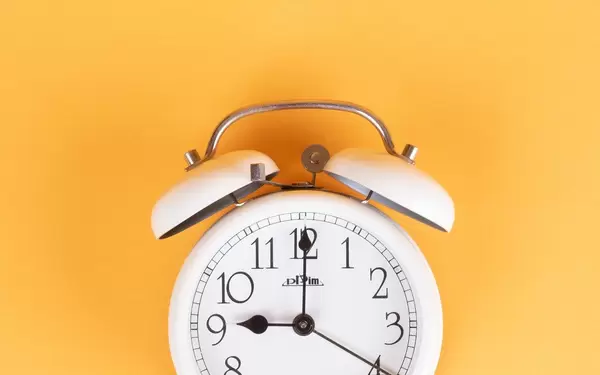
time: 9:00
